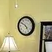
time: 4:50
